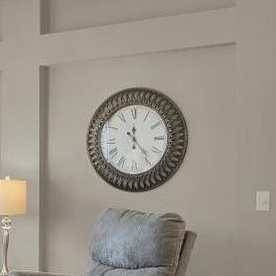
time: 12:23
